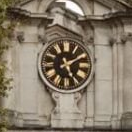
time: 5:09
